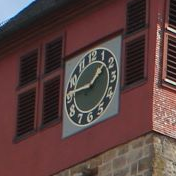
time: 1:46
